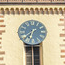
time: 6:38
